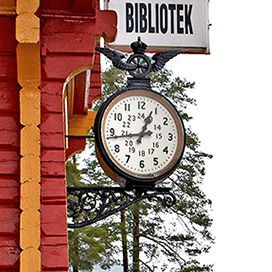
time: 12:43
